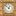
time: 12:52
